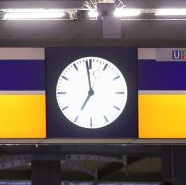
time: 6:58
